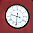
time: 9:30
